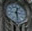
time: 12:28
